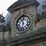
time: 11:32
